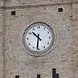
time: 10:31
